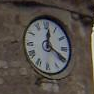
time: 12:20
